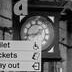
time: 1:43
